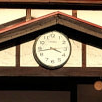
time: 3:43
